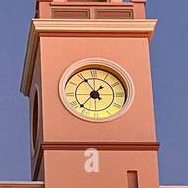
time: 1:36
